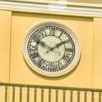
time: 1:50
